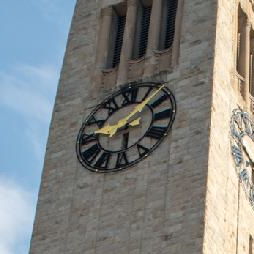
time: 1:28
